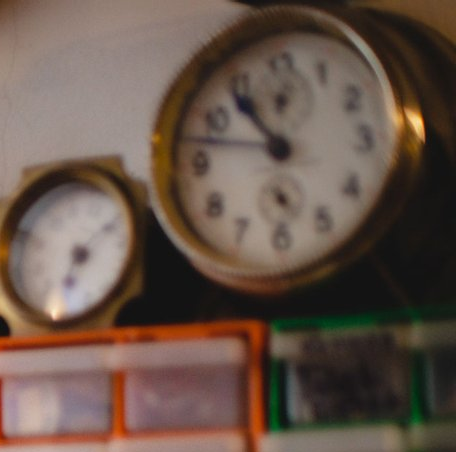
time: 10:47
